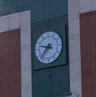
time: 9:37
